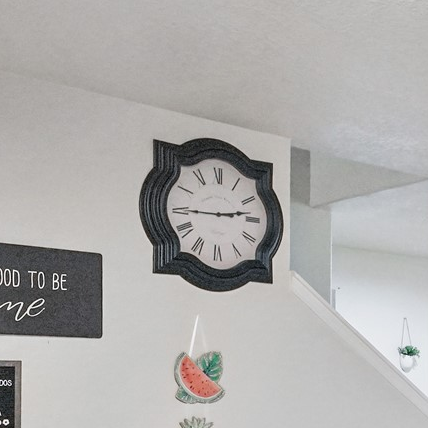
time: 2:45
